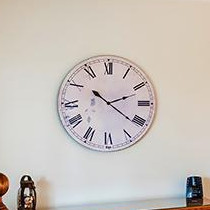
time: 2:21
